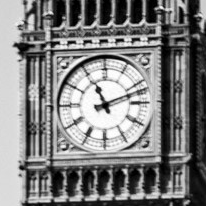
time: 11:11
